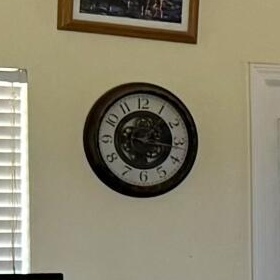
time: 1:16
